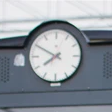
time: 7:49
